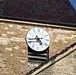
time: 4:42
